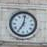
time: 7:01
